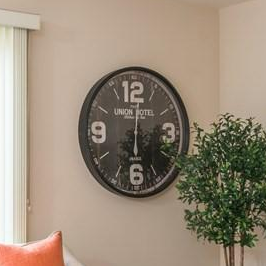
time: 6:00
